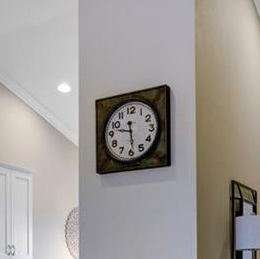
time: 9:28
